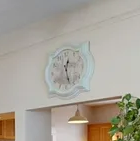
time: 12:27
